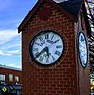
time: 5:38
